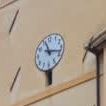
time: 11:17
